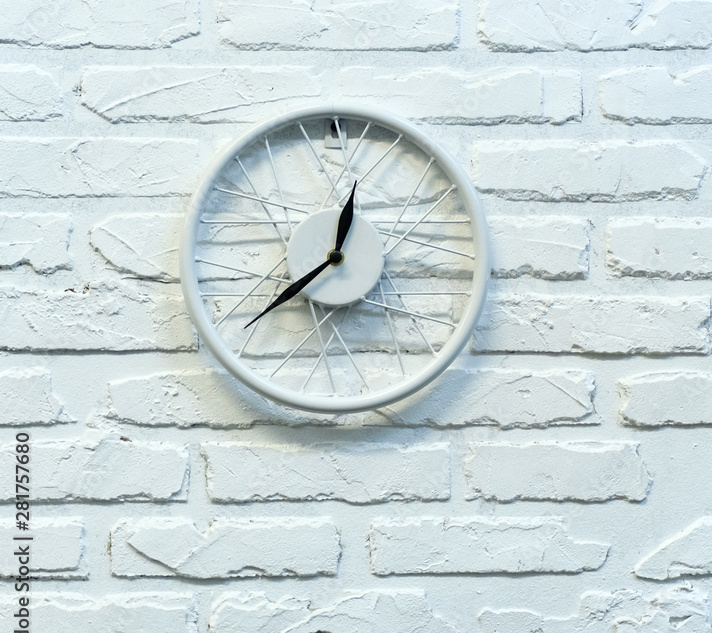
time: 12:37
